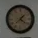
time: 1:21
